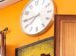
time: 7:44
